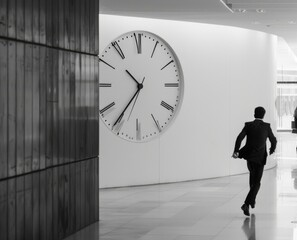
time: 10:36
